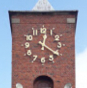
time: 12:21
